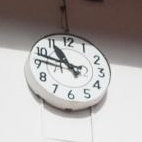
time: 10:48
